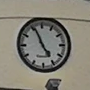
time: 4:56
